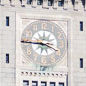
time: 3:45
